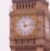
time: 11:13
